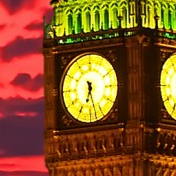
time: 6:27
